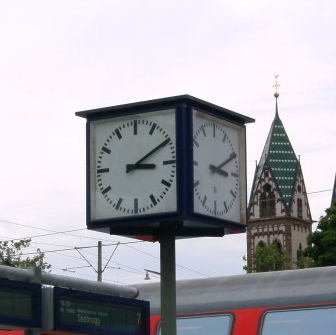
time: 3:10
